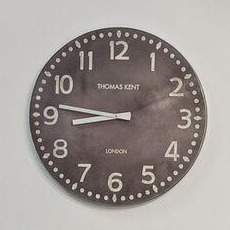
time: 8:46
